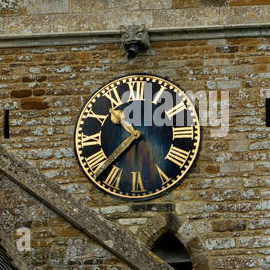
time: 10:37
